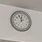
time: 11:55
